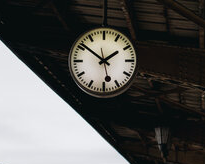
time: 1:51
